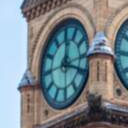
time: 12:18
